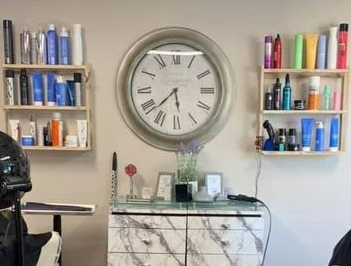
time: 5:37
